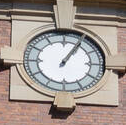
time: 1:05
